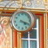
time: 4:18
